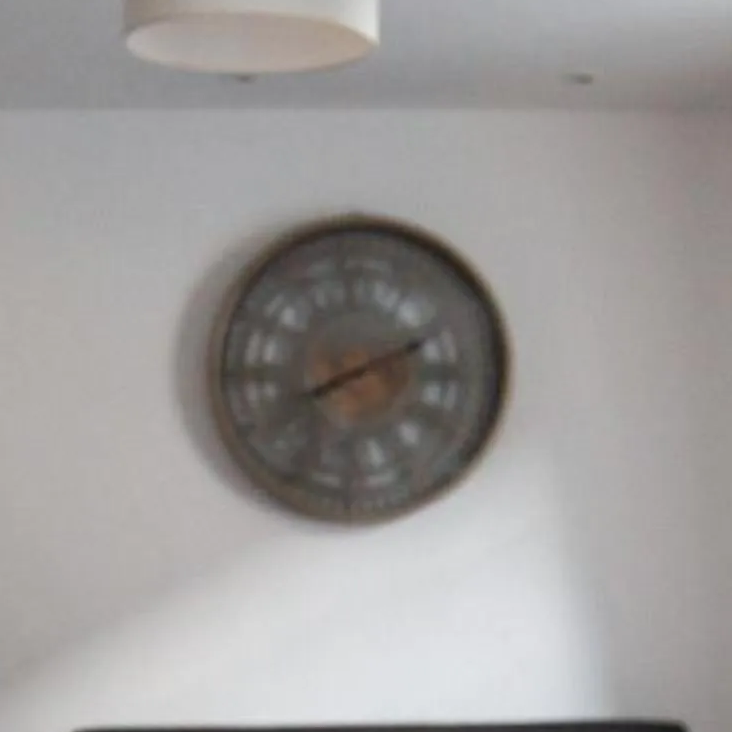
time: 8:11
